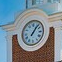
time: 1:06
